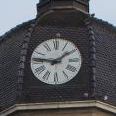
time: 1:46
